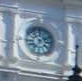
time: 7:11
